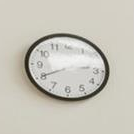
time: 2:40
